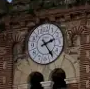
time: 2:24
